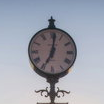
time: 7:01
